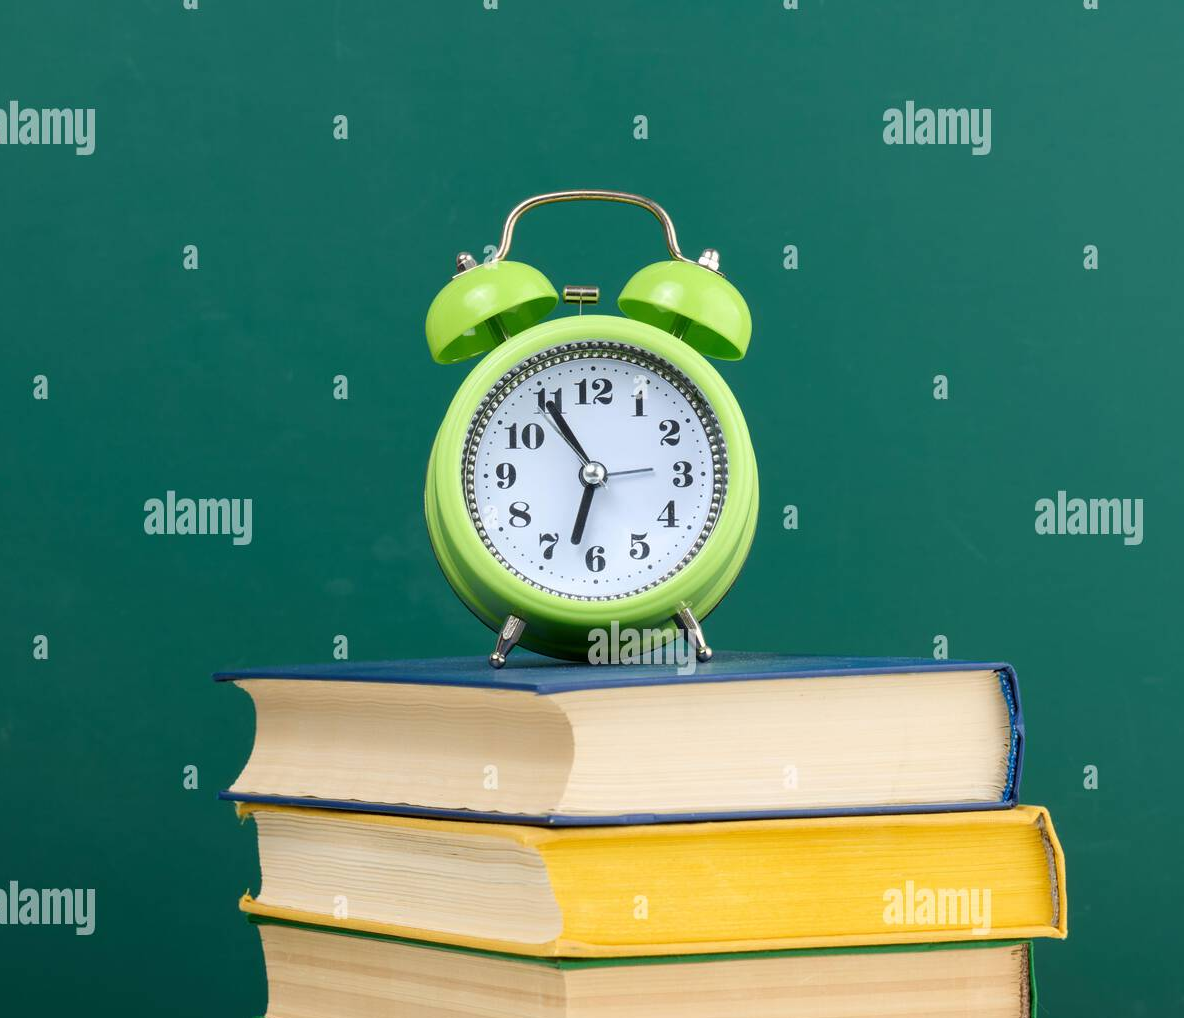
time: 6:54
